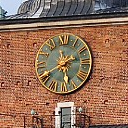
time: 5:40
